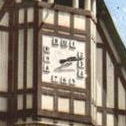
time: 2:12
